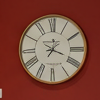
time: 1:18
